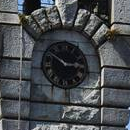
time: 2:50
